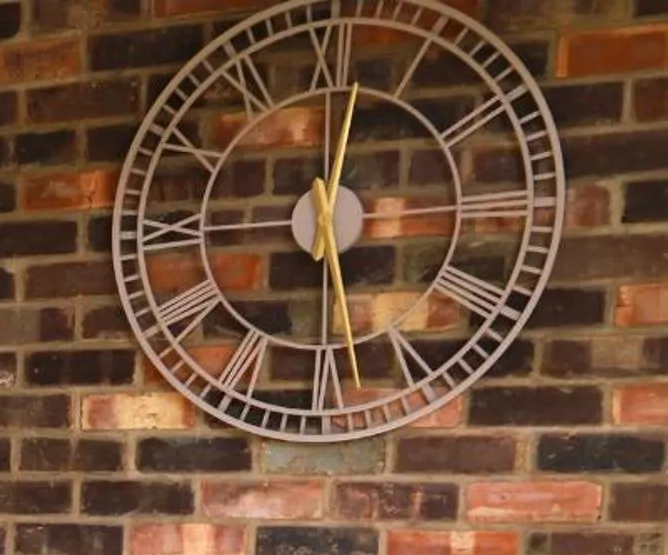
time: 12:28
